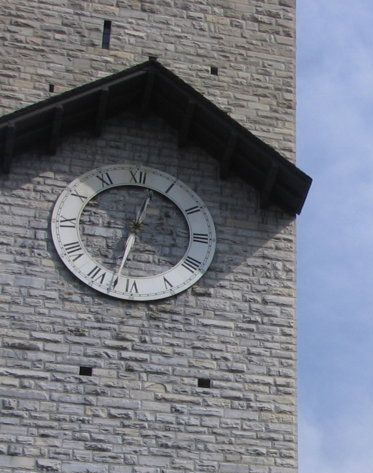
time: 12:32
